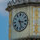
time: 3:27
